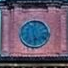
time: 5:29
